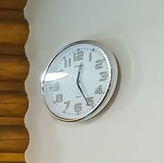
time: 12:25
